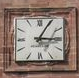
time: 3:04
